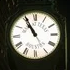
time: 10:55
